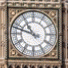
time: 10:47
